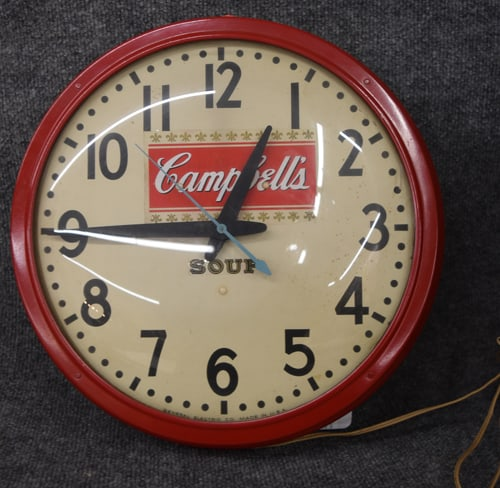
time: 12:45
